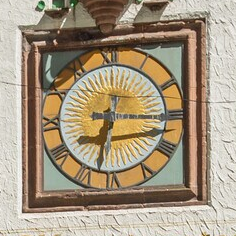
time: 6:15
